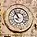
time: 10:55
